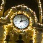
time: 12:12
